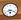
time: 8:18
